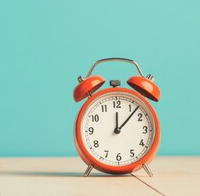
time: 12:07
